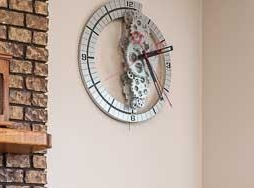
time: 4:12
